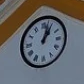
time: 1:02
